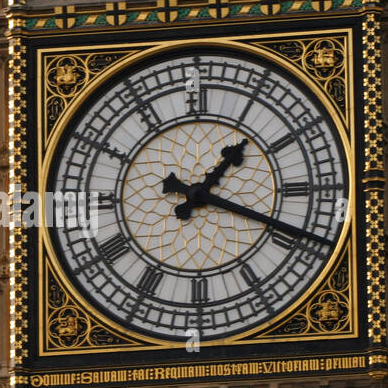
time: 1:18
